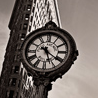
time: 5:20
